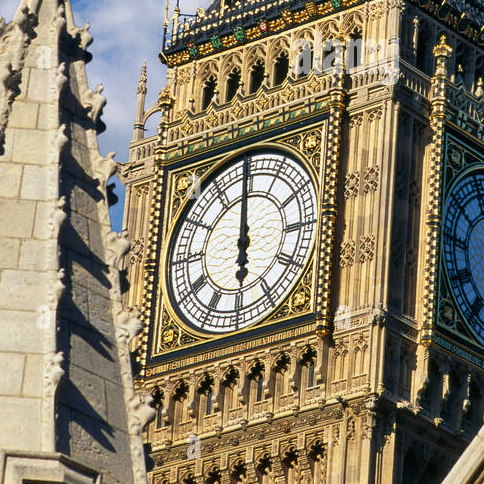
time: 5:59
